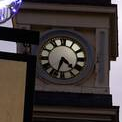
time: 4:33
